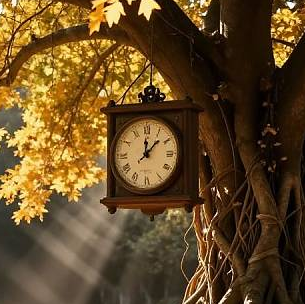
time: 12:07
